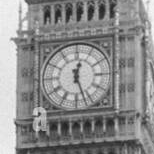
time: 12:26
